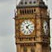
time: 1:23
